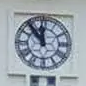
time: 11:53
